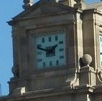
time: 1:48
